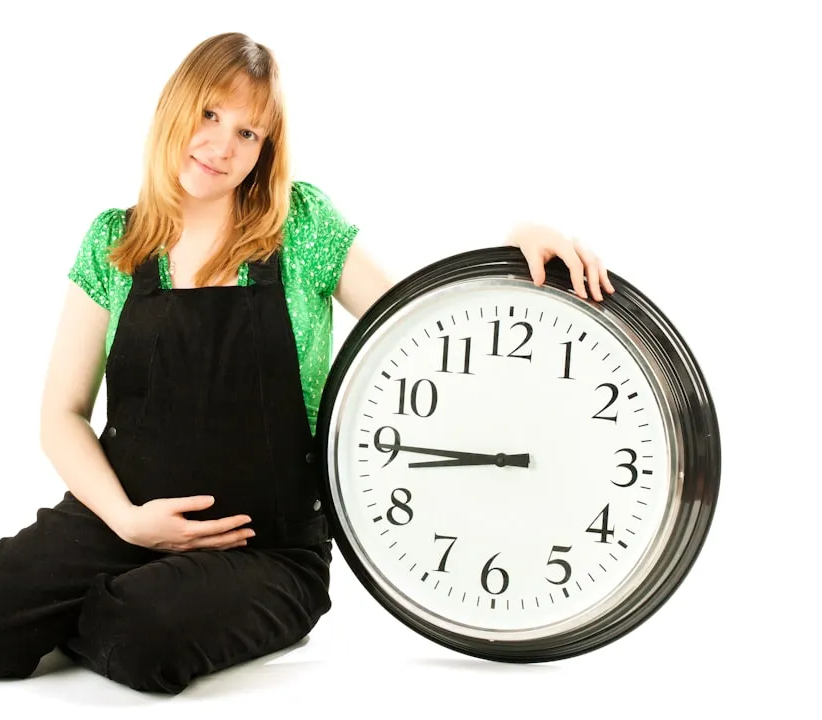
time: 8:45
